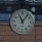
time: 11:06
